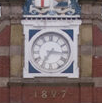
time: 7:16
